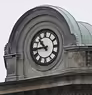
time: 10:43
